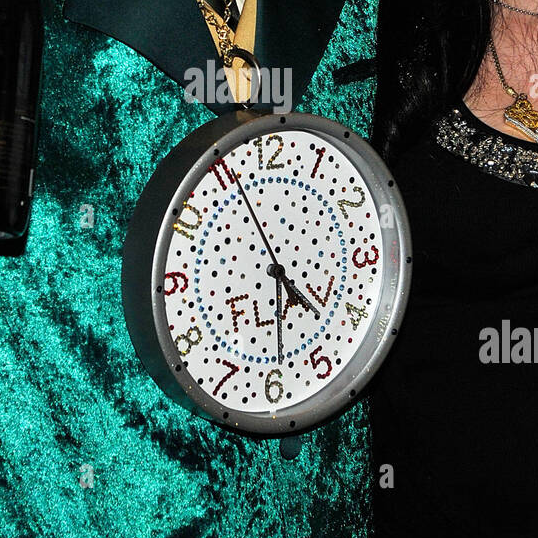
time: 4:29
